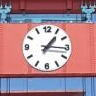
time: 1:15
